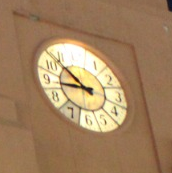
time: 8:52
